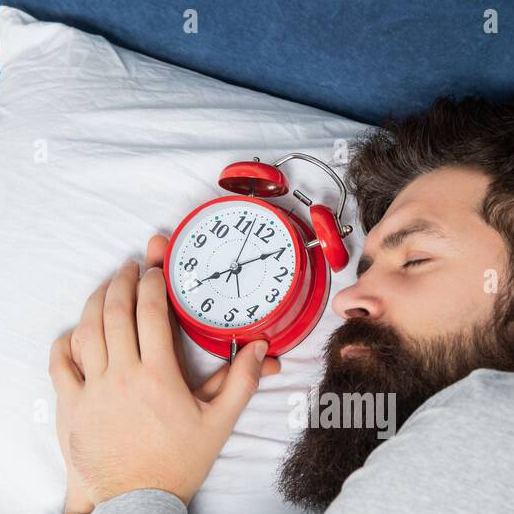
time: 8:09
